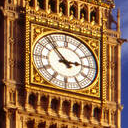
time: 2:53
